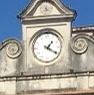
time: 1:20
